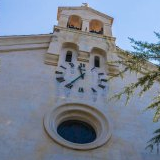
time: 11:36
